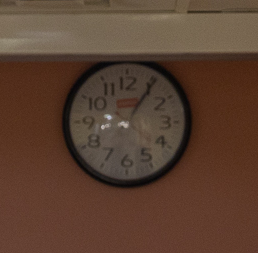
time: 1:05
